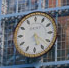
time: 5:21
